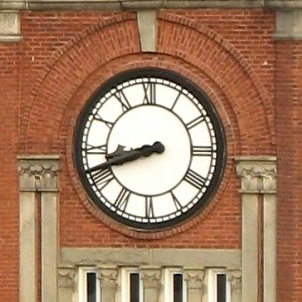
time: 8:41
